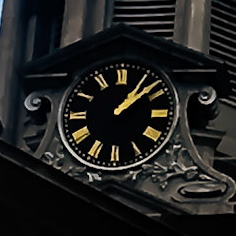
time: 1:08
